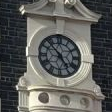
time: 4:53
